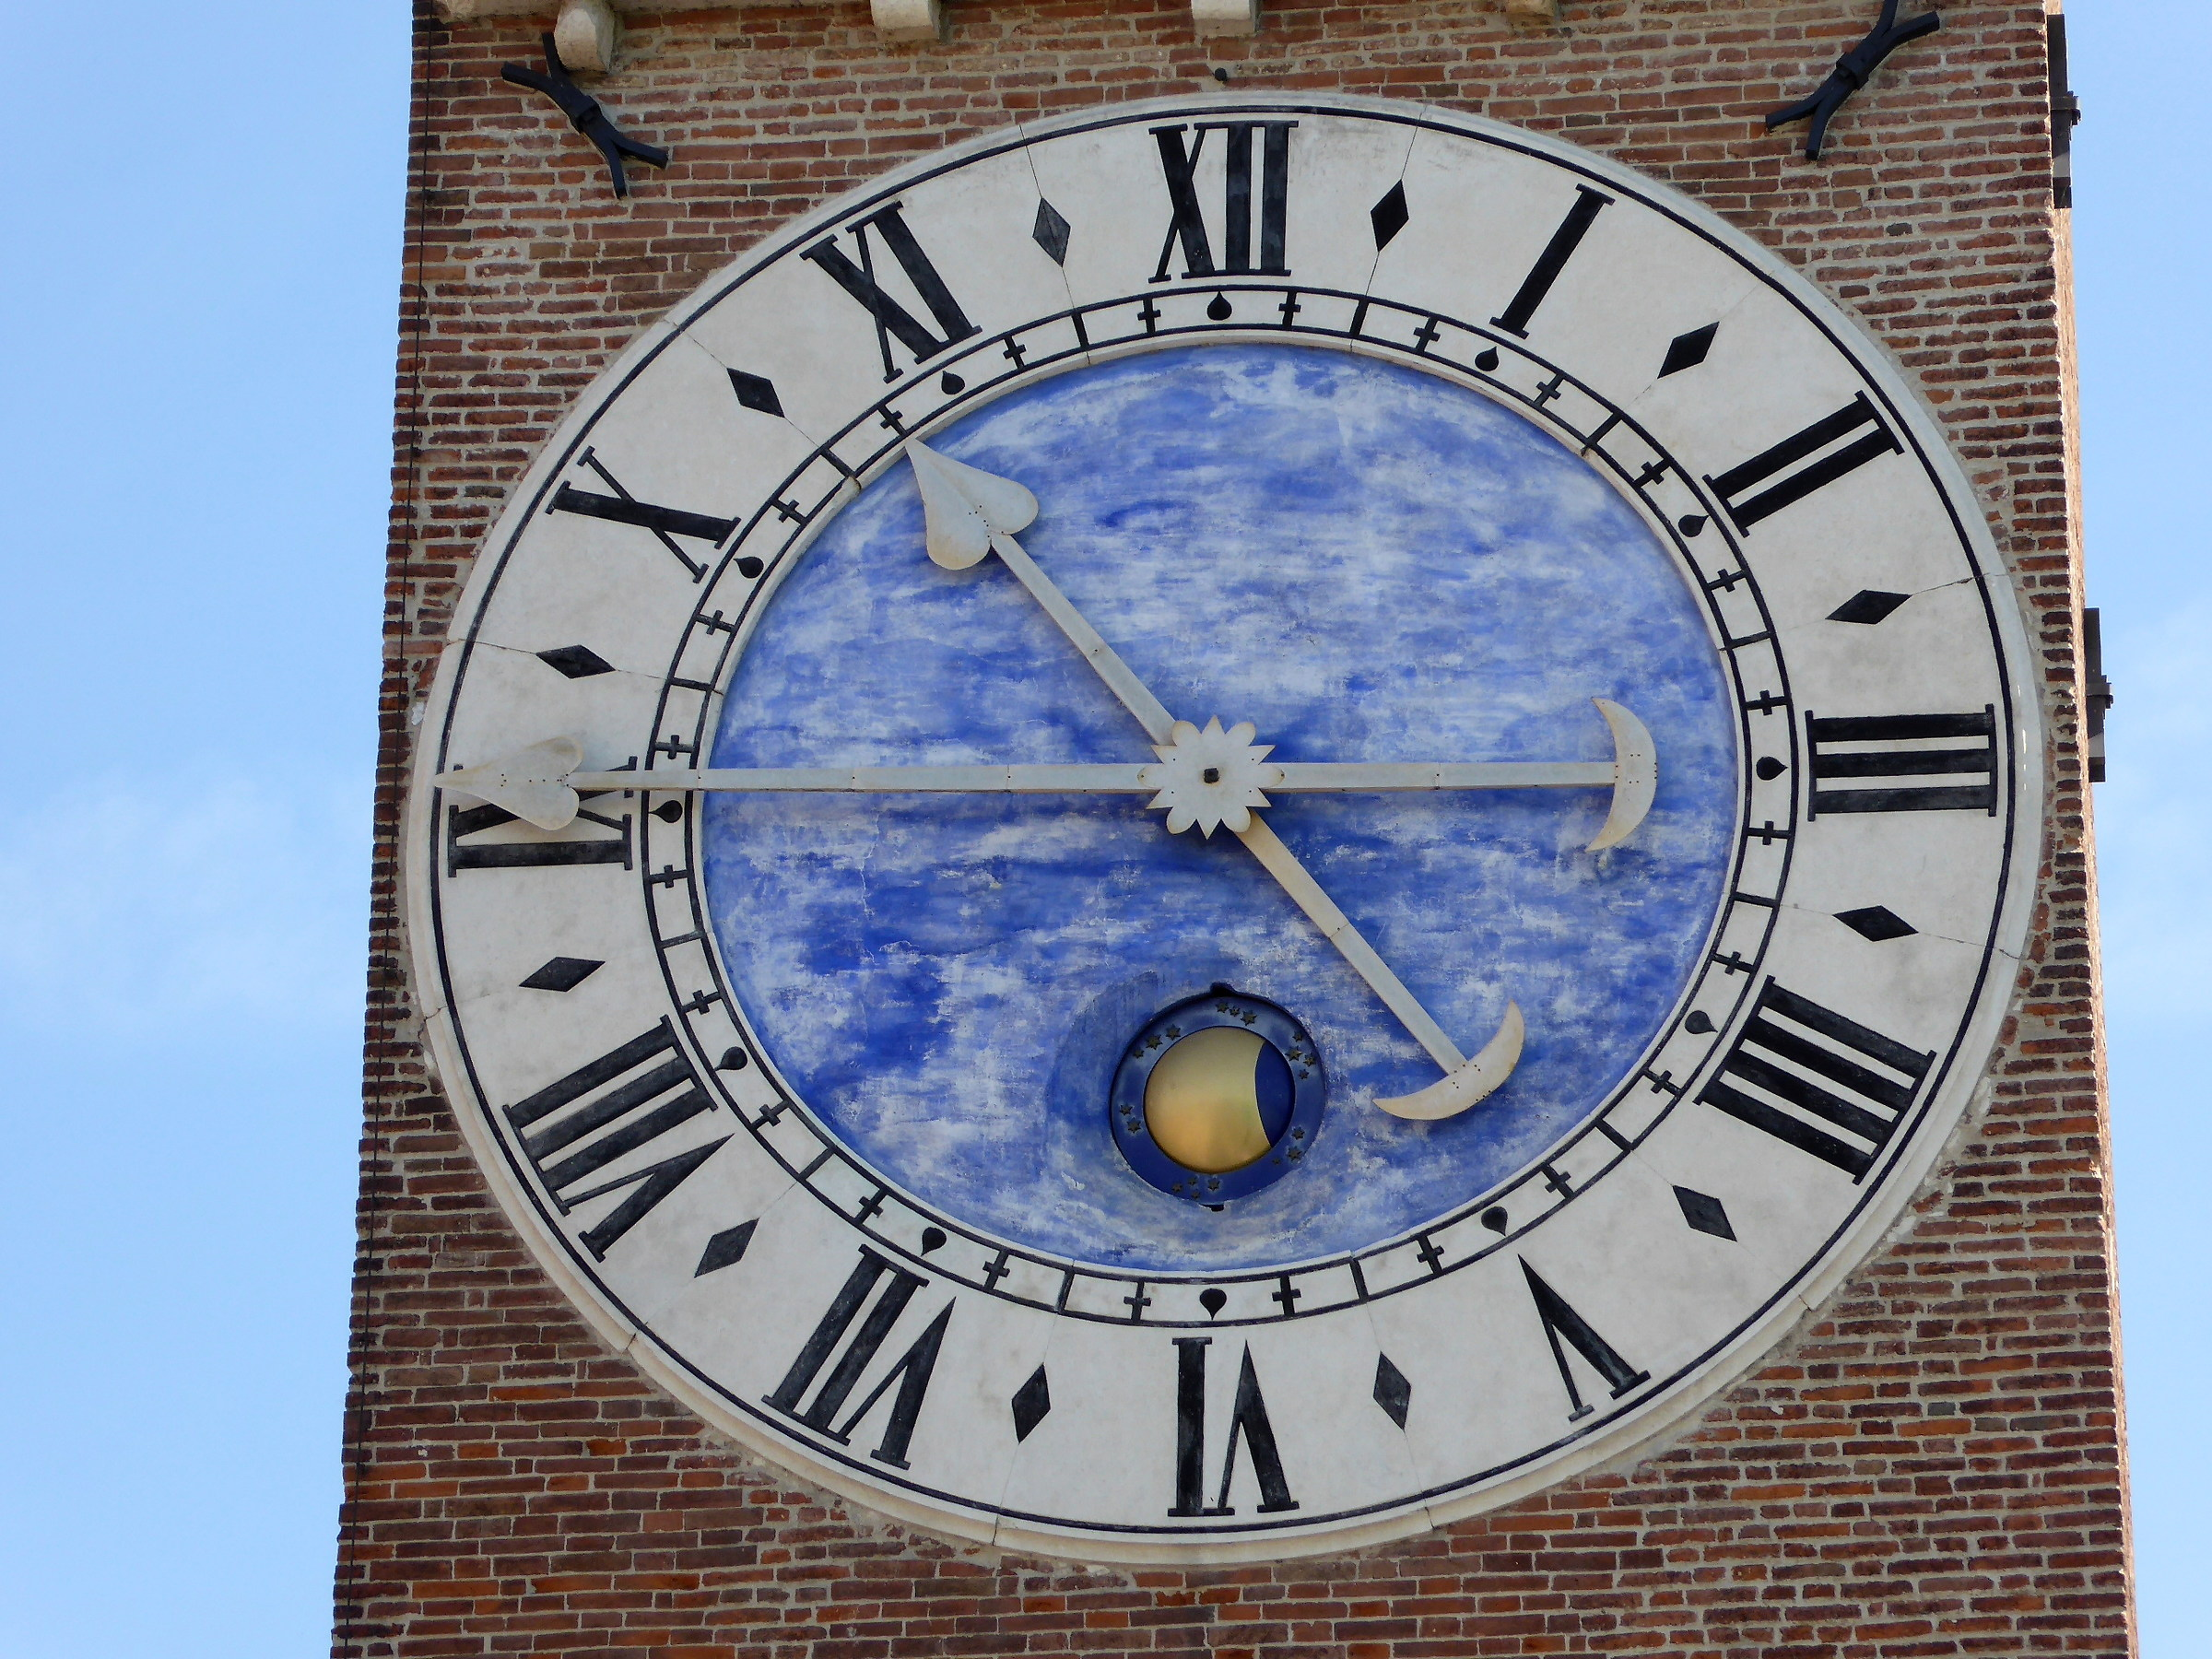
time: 10:45
